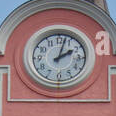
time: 2:02
